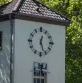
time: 12:26
